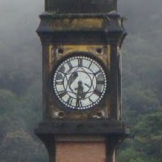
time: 5:31
